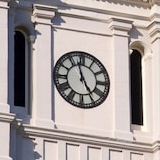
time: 4:57
